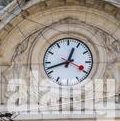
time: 12:42
